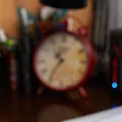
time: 10:36
